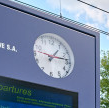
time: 1:13
